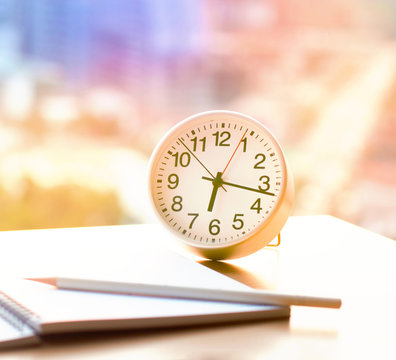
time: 6:16
